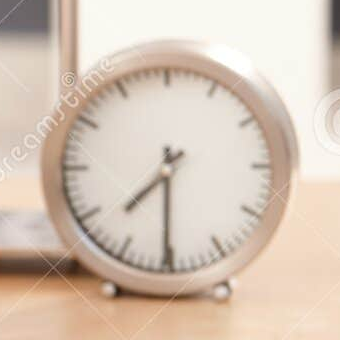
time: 7:30
